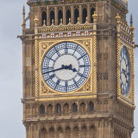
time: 3:42
